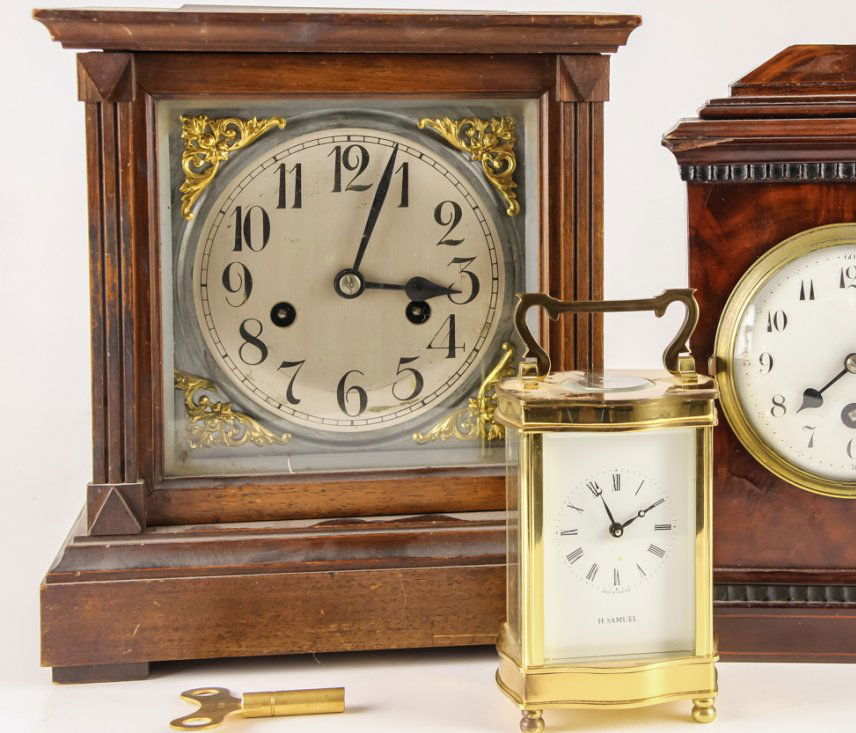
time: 3:03
